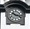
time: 10:17
